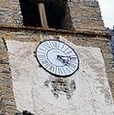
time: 4:14
